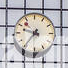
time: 9:36
